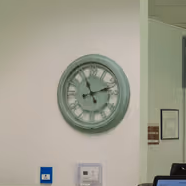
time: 11:12
